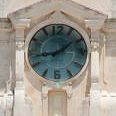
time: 1:43
